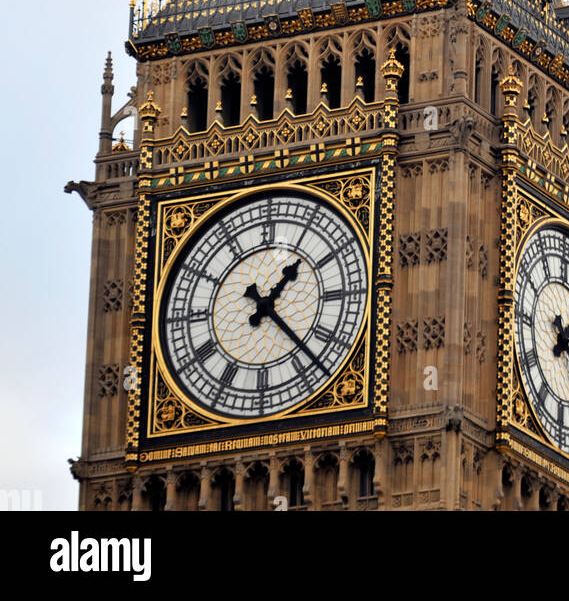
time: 1:22
